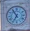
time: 6:54
